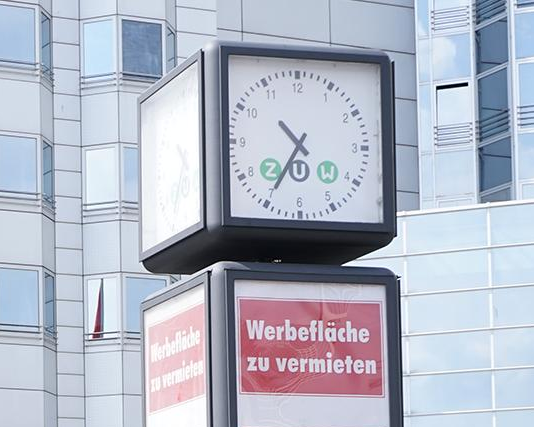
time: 10:35
